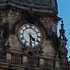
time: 4:29
